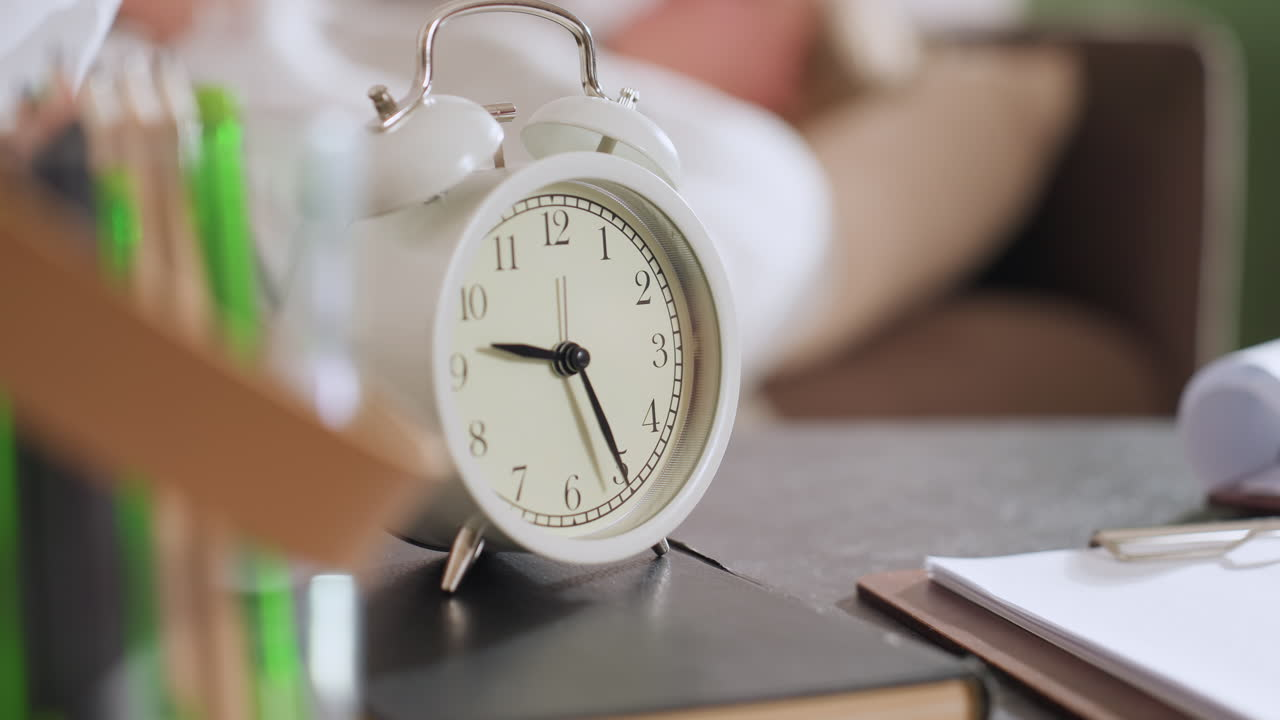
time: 9:25
